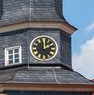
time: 2:00
